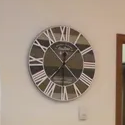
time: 7:30
